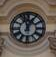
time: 12:57
